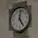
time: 12:24
